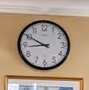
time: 8:50
